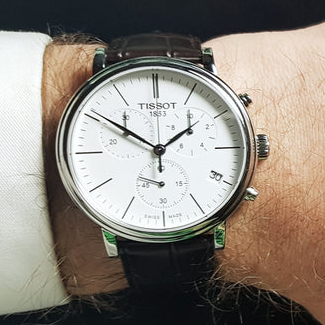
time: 1:50
